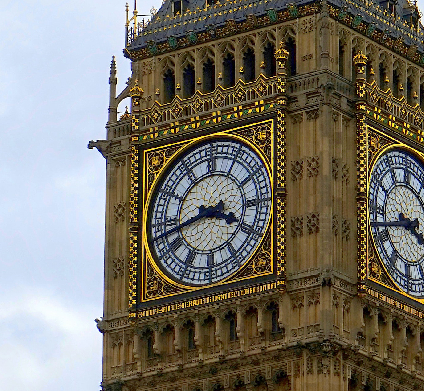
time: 3:42
